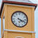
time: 4:18
